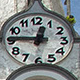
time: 12:46
